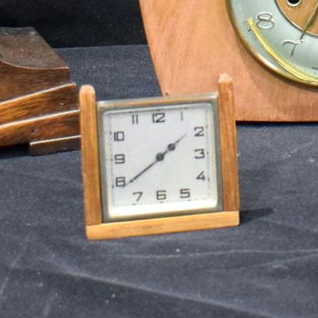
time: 1:38
